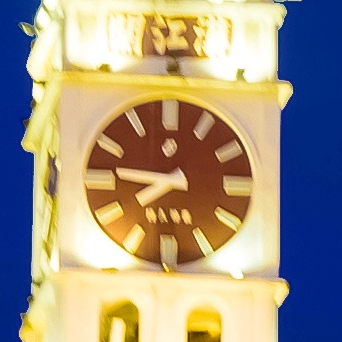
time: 7:46
